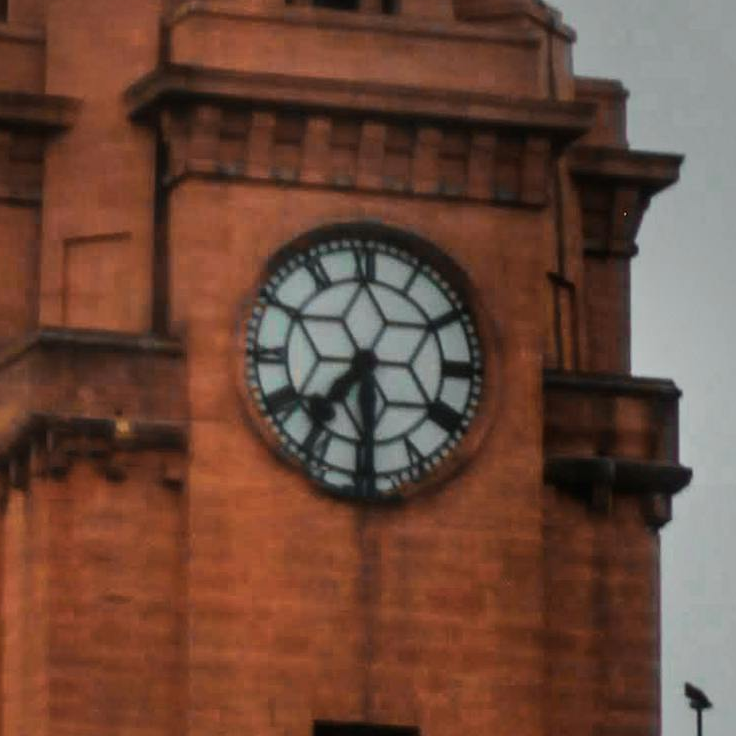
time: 7:29
